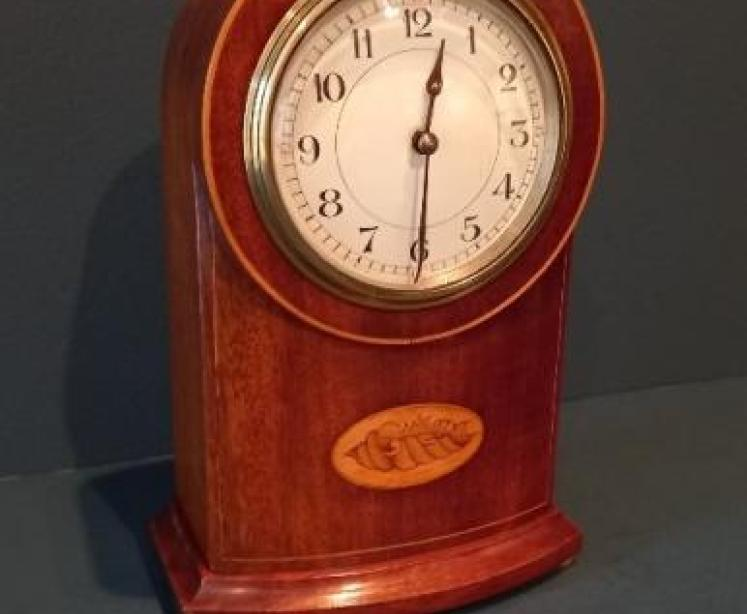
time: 12:30
